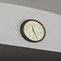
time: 11:26
